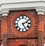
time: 2:25
